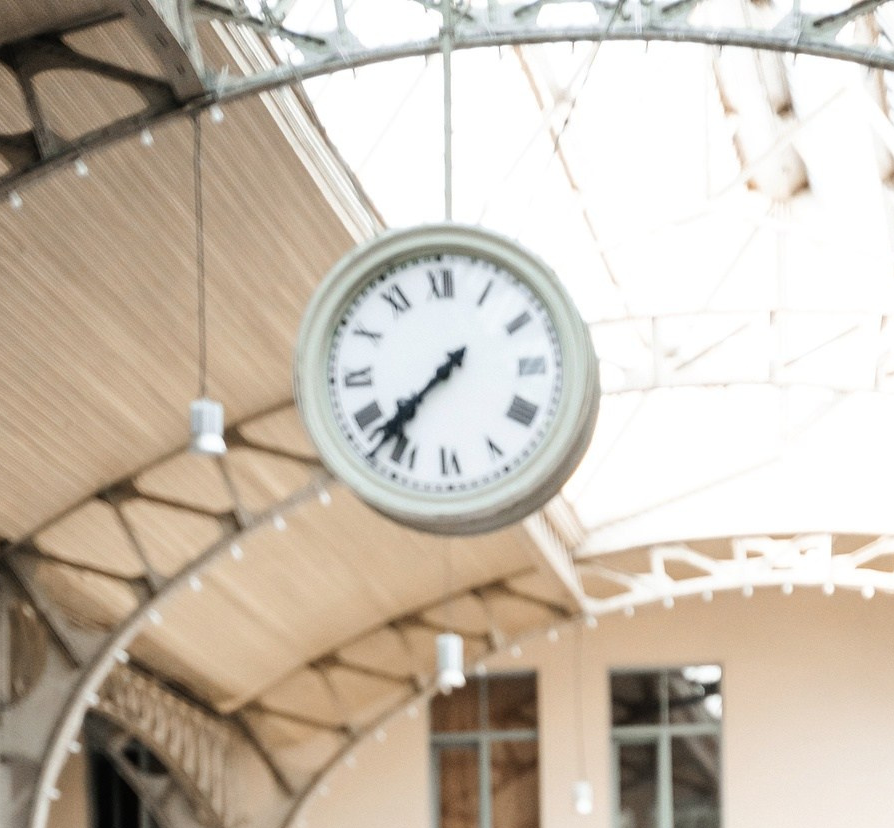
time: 7:37
